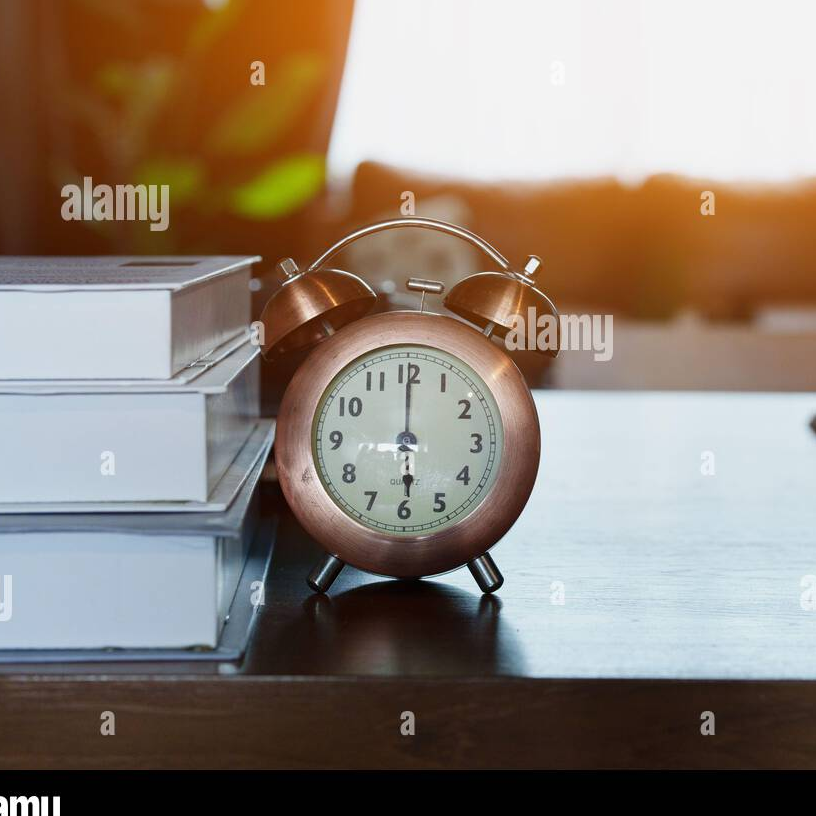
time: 6:00
